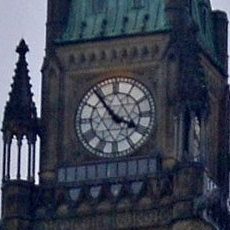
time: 3:53
